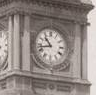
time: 10:42
